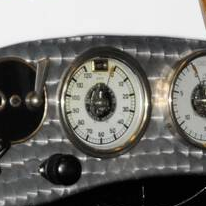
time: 12:03
